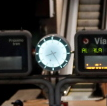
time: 8:24
